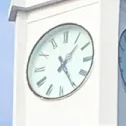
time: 1:25
